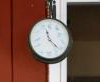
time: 11:22
